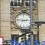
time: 2:46
